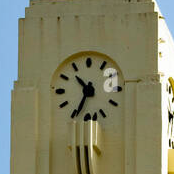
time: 10:34
